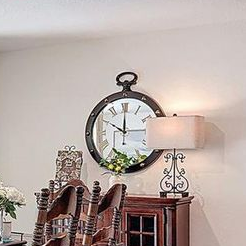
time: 10:00
